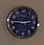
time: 2:45
